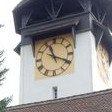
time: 11:19
